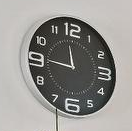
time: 11:45
